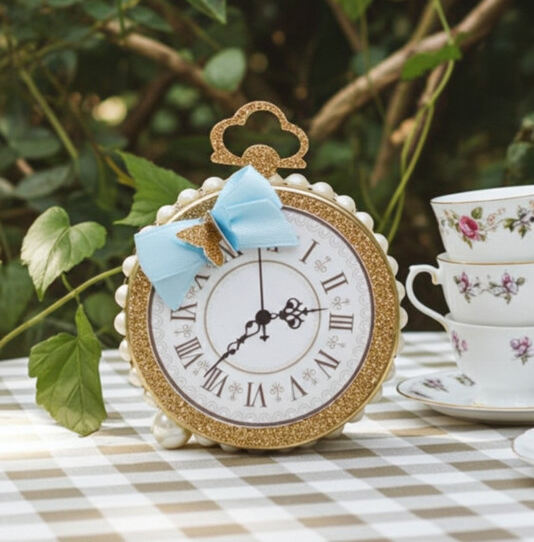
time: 2:36
